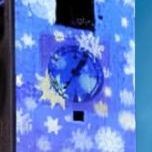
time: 1:36
